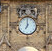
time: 7:00
